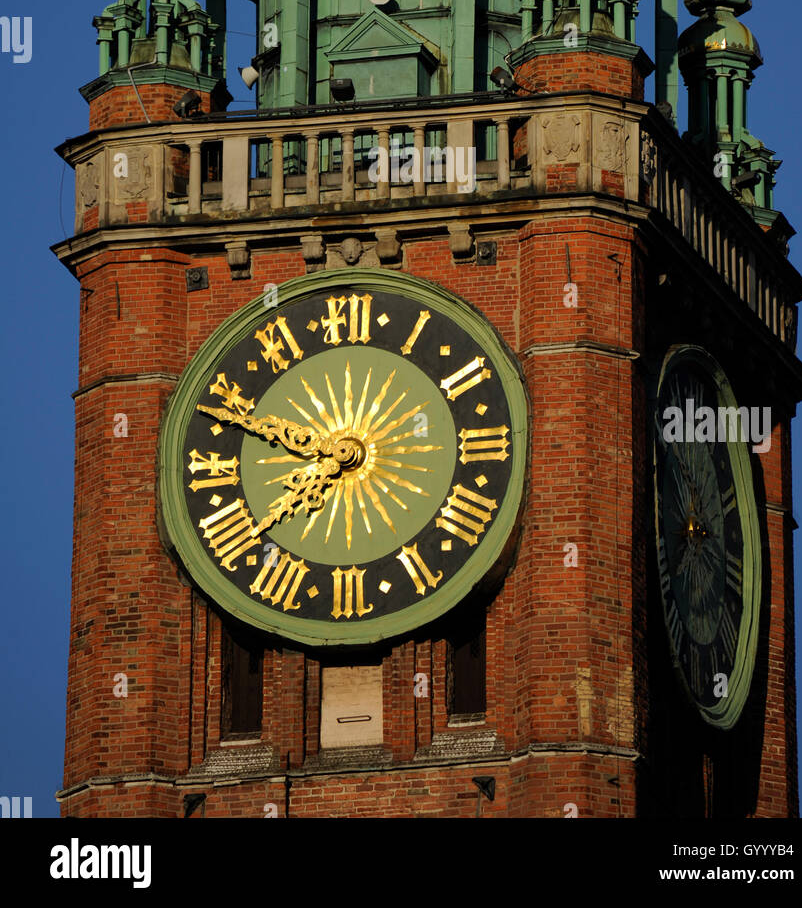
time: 7:47
